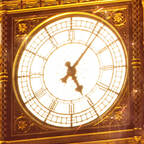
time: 5:06
